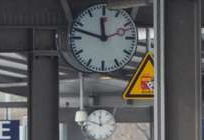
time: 11:47
